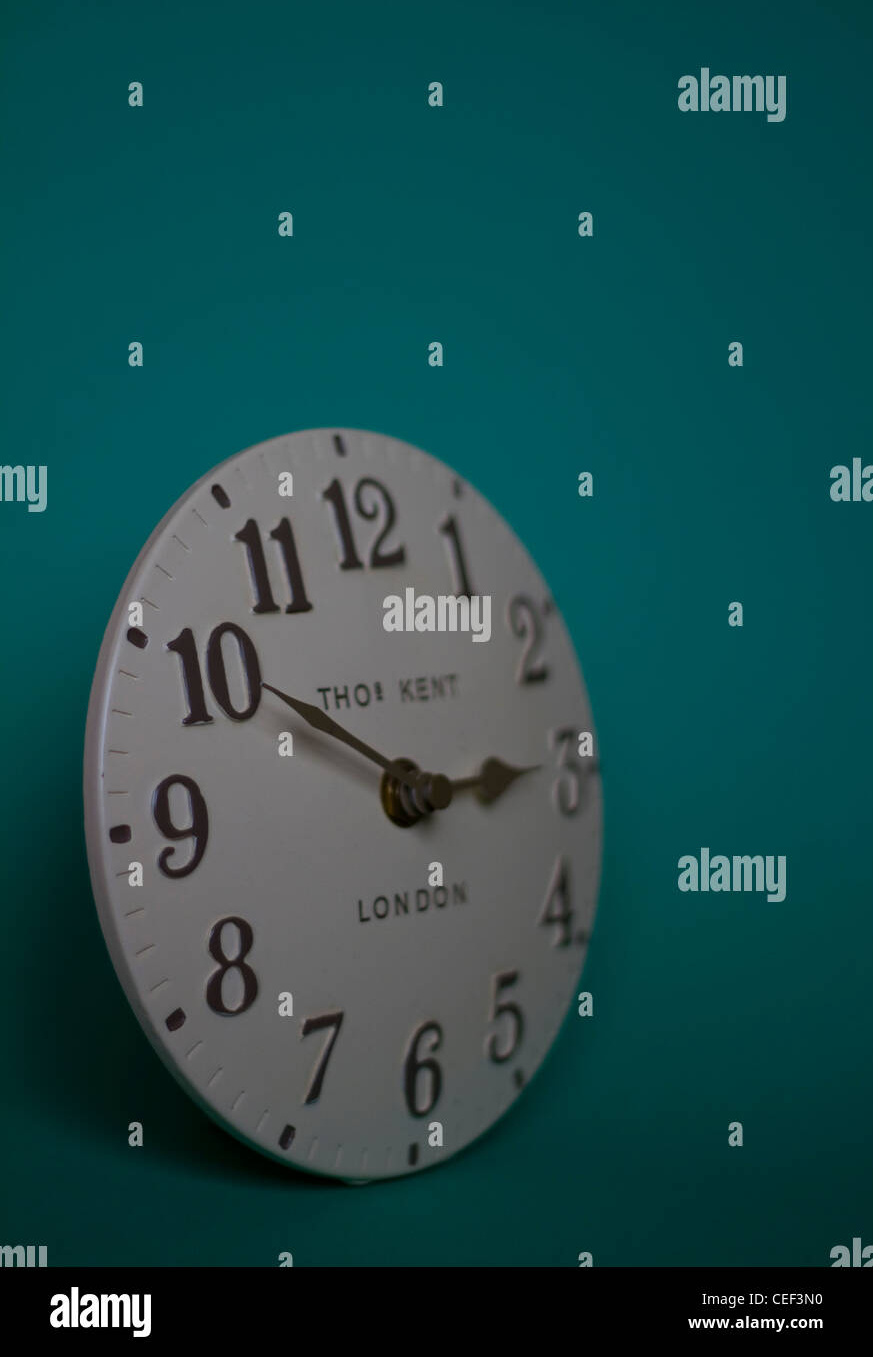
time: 2:50
